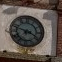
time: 3:47
